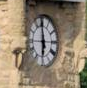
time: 5:59
